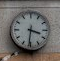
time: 3:31
